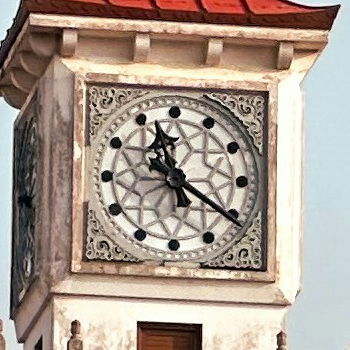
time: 11:20
